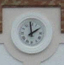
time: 1:59
